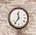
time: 11:36
